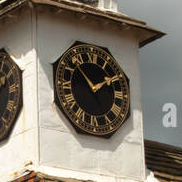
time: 1:53
